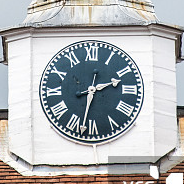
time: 2:32
